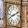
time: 8:11
